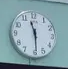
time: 11:29
